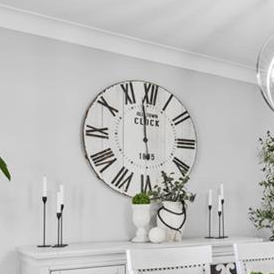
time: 5:58
